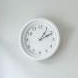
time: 1:10
